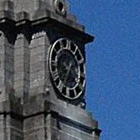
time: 1:34
